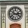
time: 2:40
